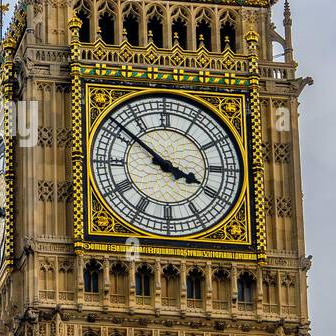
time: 3:51
